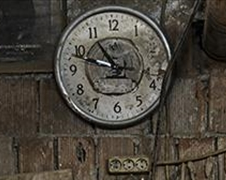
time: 10:48
